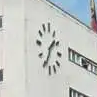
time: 1:34
